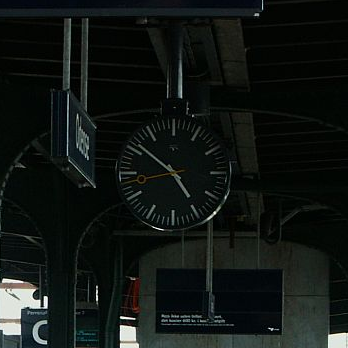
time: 4:51
